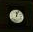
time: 12:04
